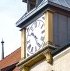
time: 4:26
